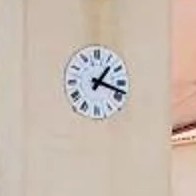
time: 1:18
